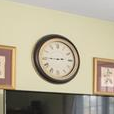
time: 2:45
